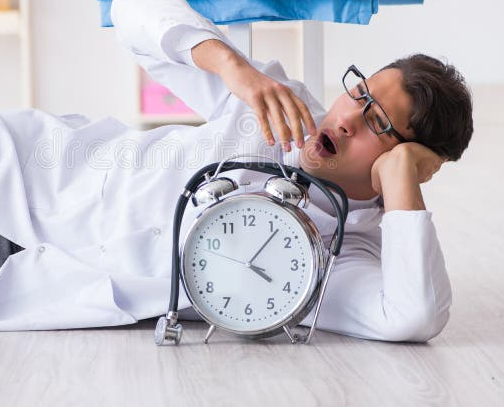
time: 4:06
